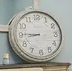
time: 8:45
